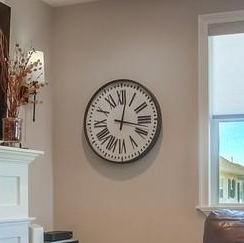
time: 12:17
